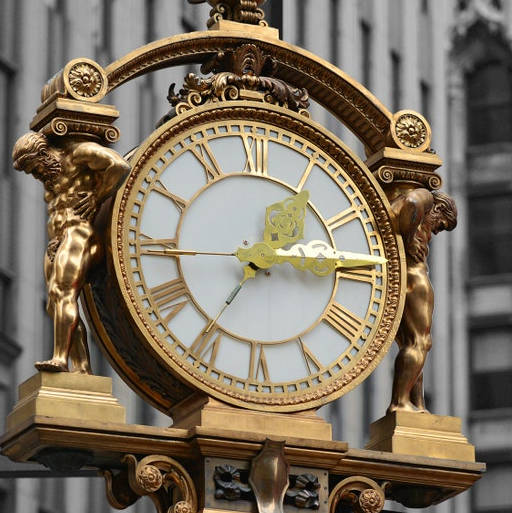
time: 2:14
